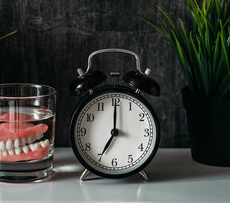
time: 7:00
